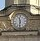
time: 11:31
